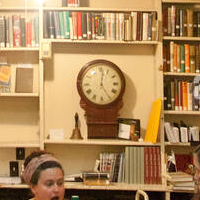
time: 12:24
